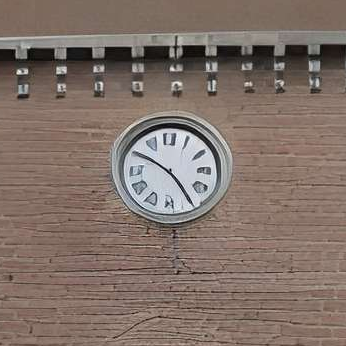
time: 4:50
